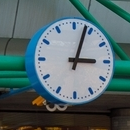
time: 3:03
